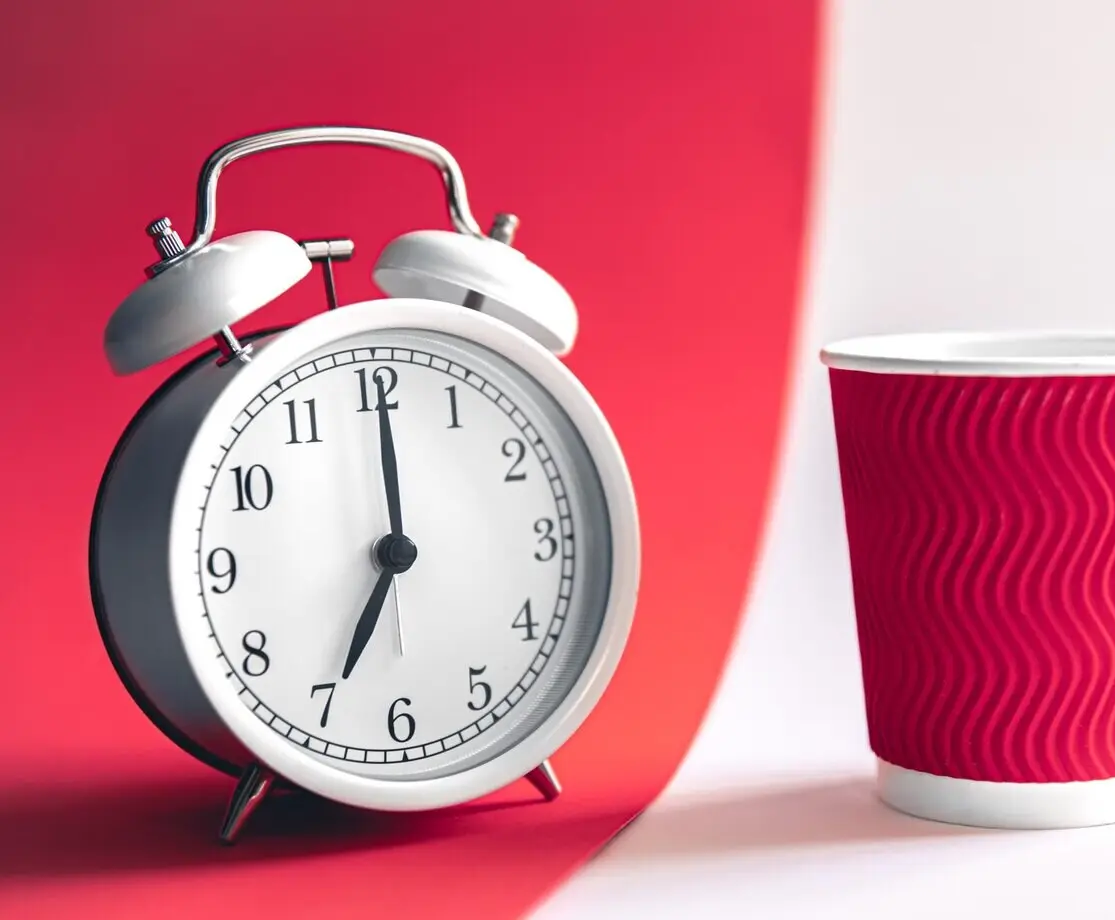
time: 7:00
